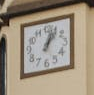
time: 1:03
